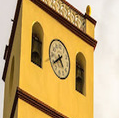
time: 4:38
